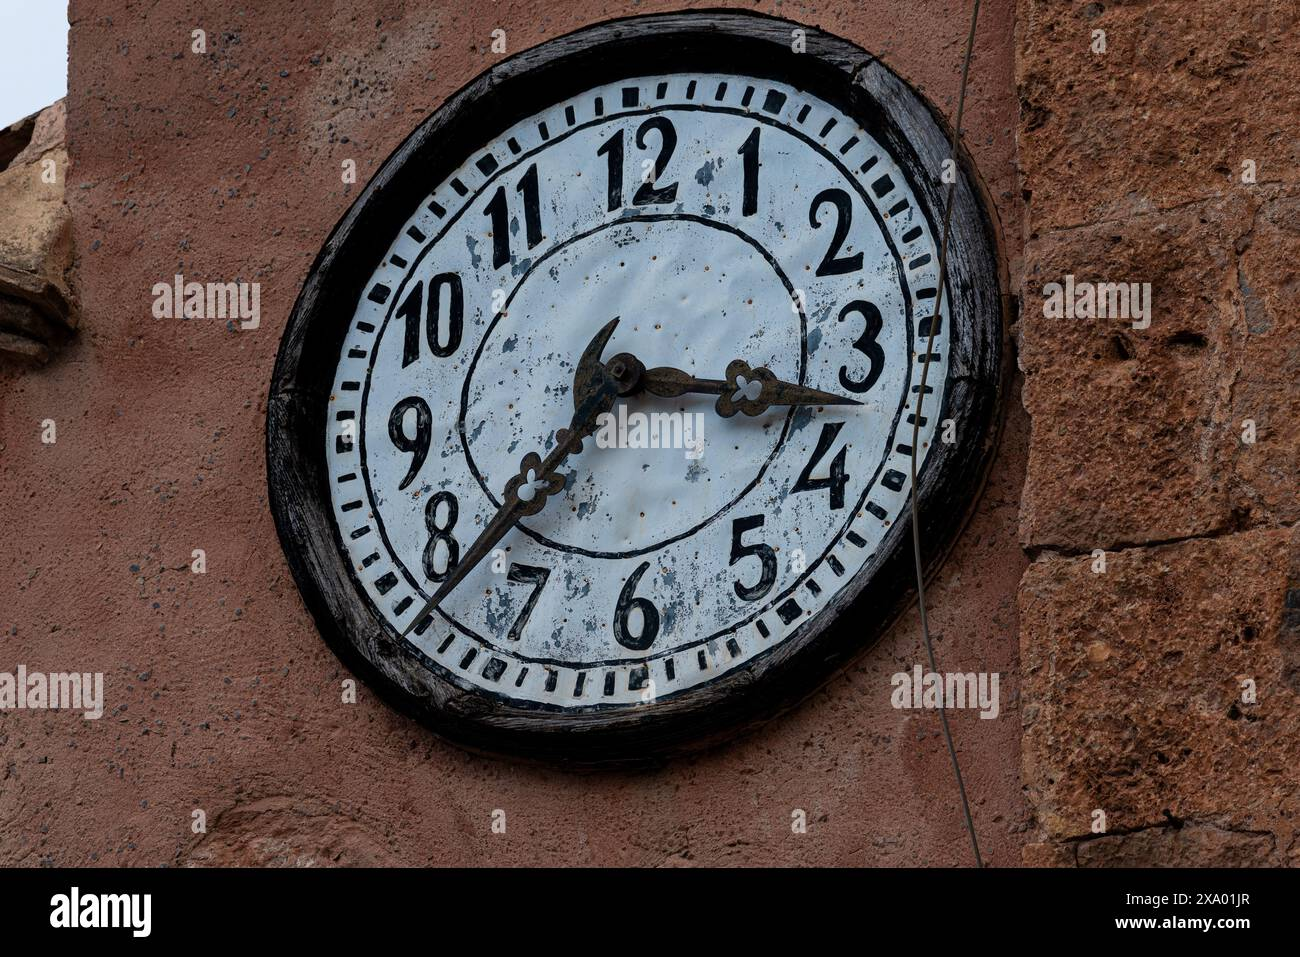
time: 3:37
